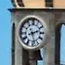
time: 2:27
